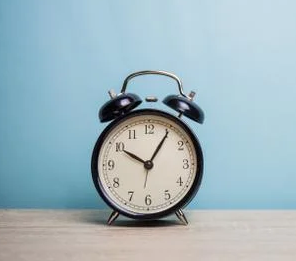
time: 10:05
